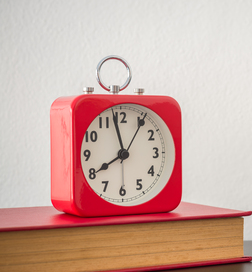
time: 7:58
